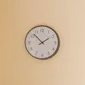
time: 1:52
